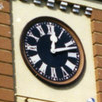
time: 12:12
